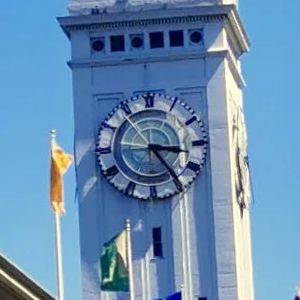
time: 3:24
